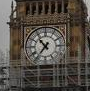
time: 10:36
